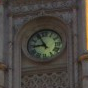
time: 8:54
